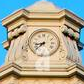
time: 8:38
